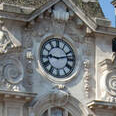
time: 9:12
